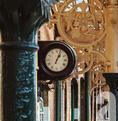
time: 1:03
